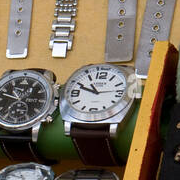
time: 10:48
